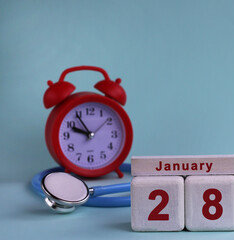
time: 9:54
